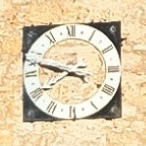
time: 7:47
